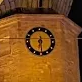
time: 6:29
